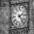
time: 2:23
